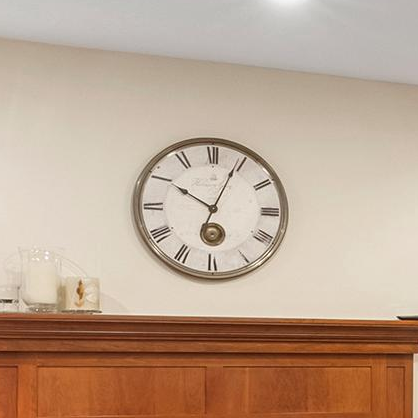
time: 10:04
